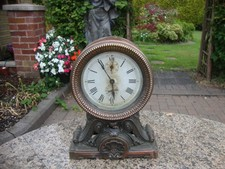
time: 5:55
